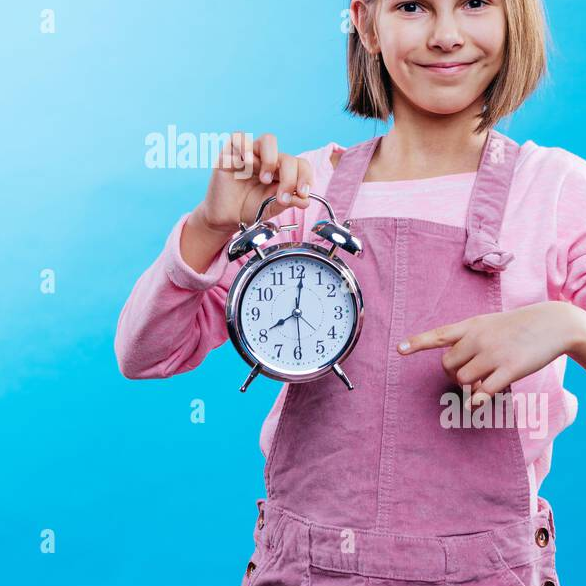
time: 8:01
